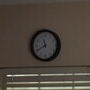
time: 11:40
